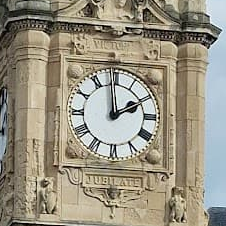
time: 1:59
